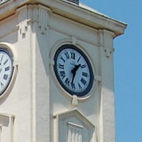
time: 1:32
